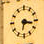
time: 6:17
